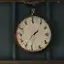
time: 1:36
